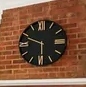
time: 5:48
